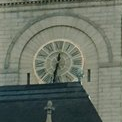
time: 12:32
